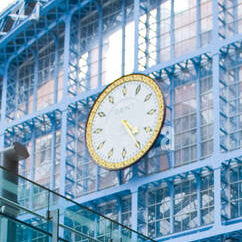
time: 4:24
